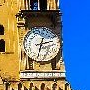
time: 2:32
